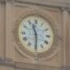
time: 11:29
